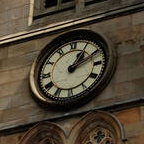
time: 1:10
